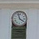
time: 3:57
